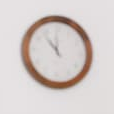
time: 11:53
